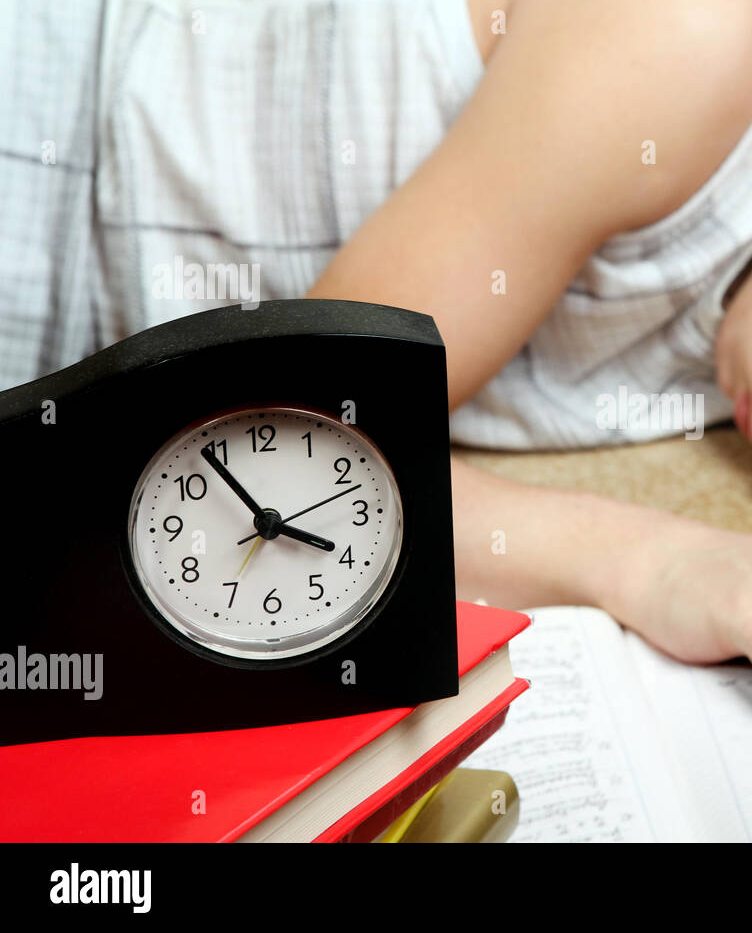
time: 3:54
